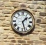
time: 1:27
